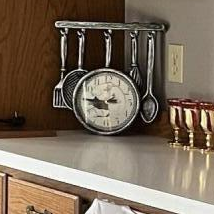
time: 8:45
